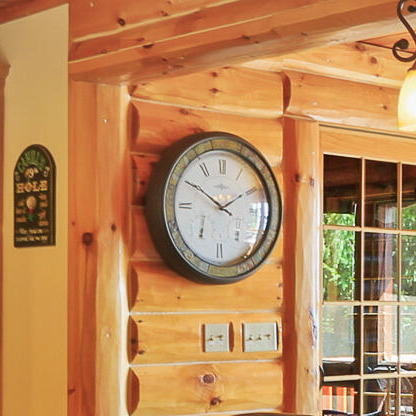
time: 1:50
